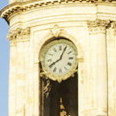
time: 8:04
